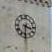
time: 3:31
